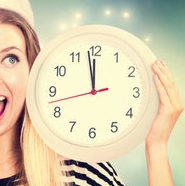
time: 11:58
